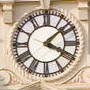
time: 4:08
